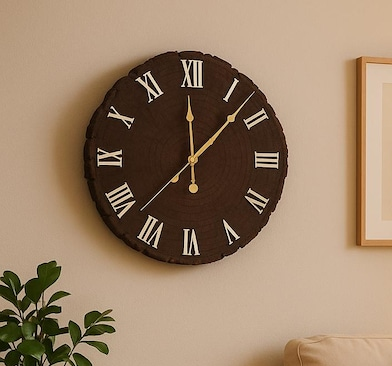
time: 12:07
